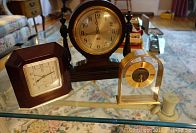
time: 11:43
